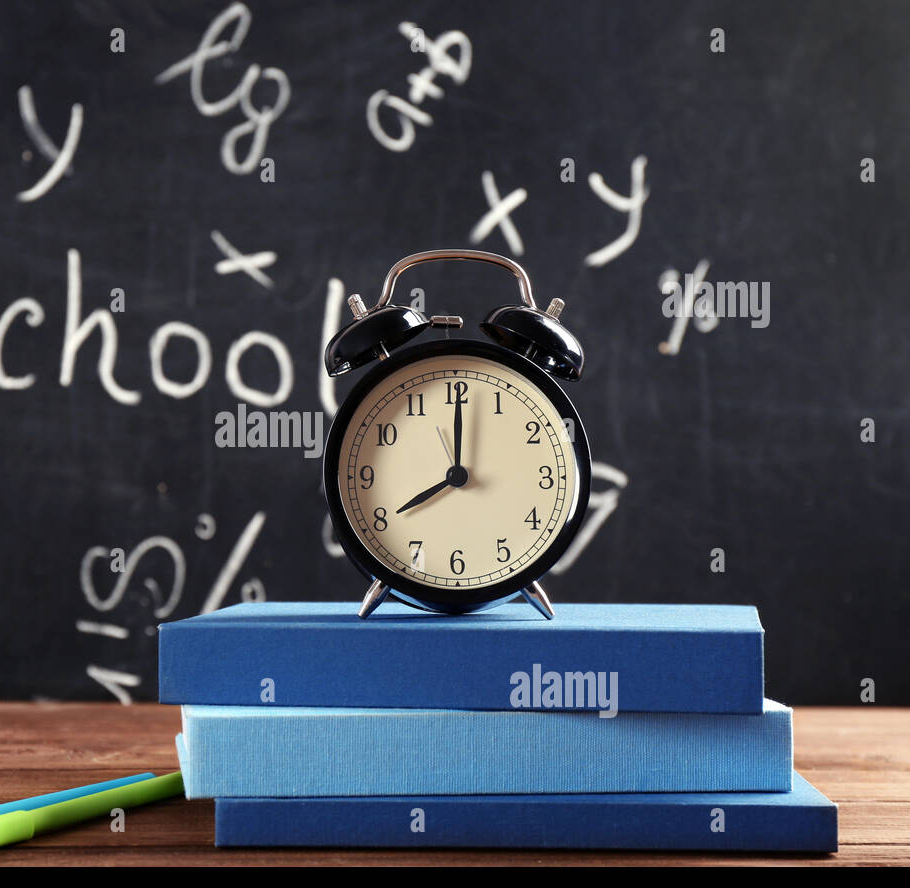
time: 8:00
